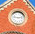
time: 9:12
